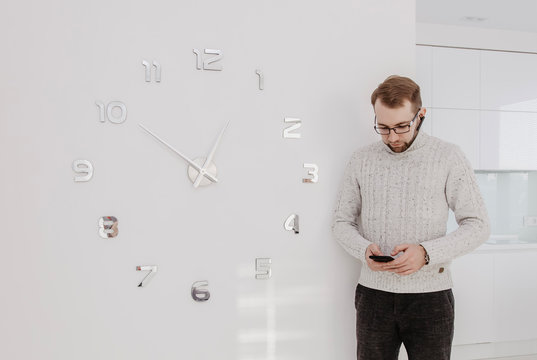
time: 12:50
